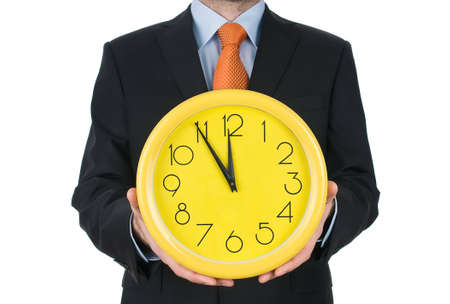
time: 11:54
